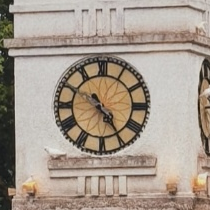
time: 4:23
